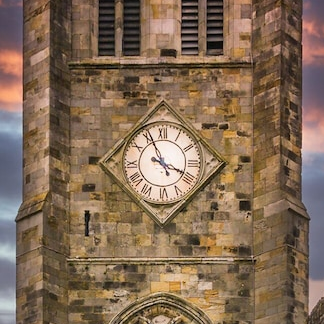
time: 3:56
